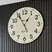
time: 12:55
